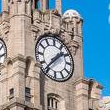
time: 1:36
